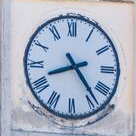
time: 8:23
